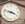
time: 3:47
